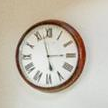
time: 2:57
